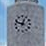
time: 12:48
